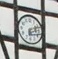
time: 6:12
